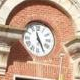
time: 11:25
